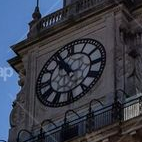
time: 10:55
